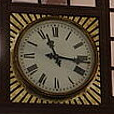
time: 11:16
